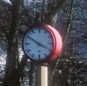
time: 3:50
